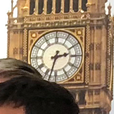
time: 2:32
